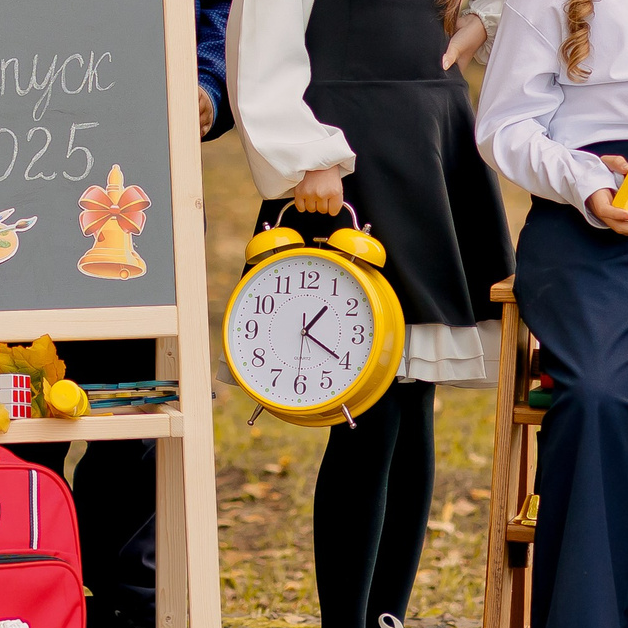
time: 1:20
